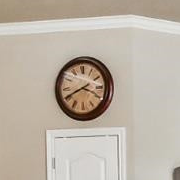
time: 3:40
